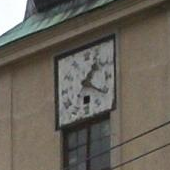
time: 1:20
